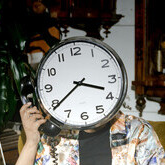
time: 3:39
